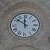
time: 11:51
